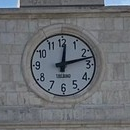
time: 12:12
